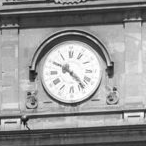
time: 10:23
